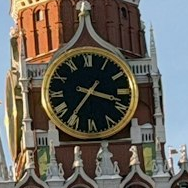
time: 3:36
